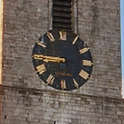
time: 8:45
